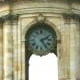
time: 2:24
